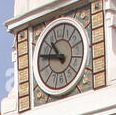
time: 10:47
